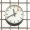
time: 11:41
